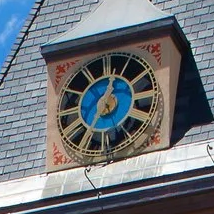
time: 12:35
